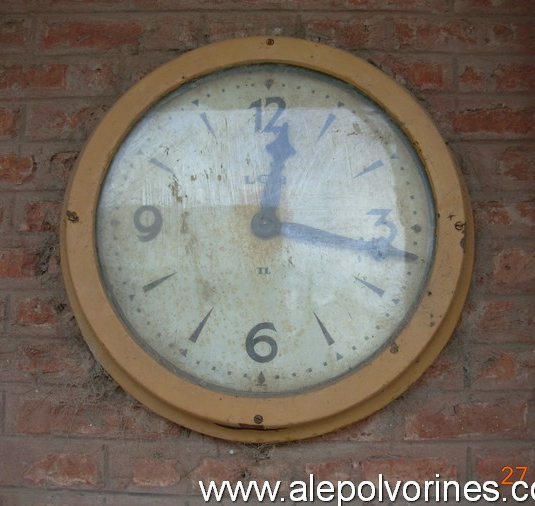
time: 12:16
